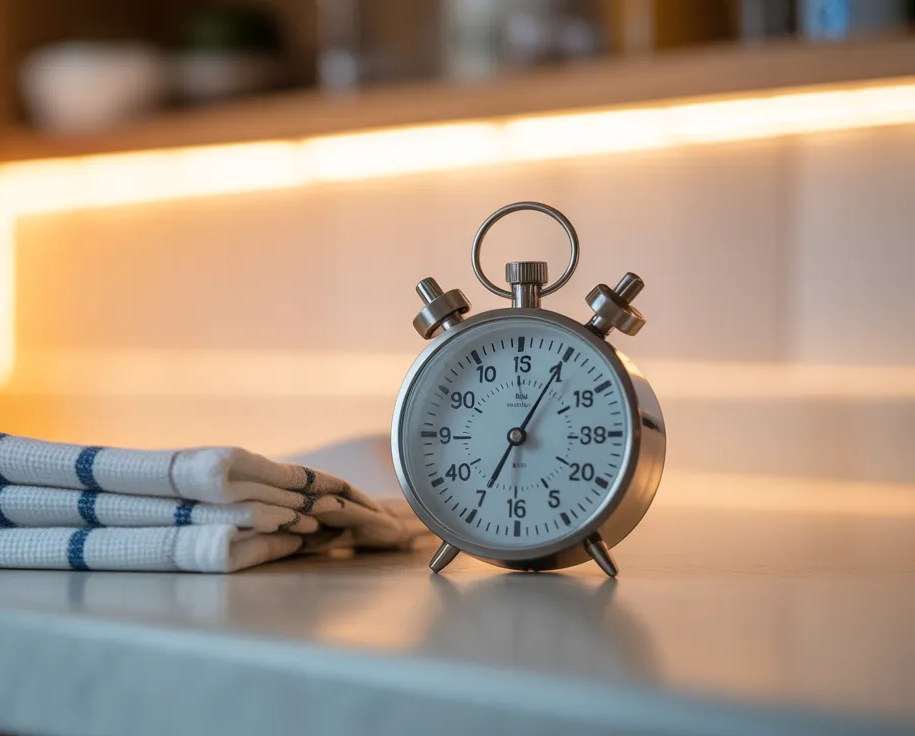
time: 7:05
